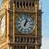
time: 1:02
